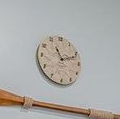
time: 11:11
